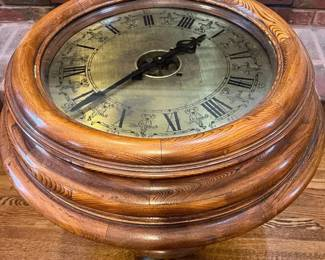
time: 1:38
